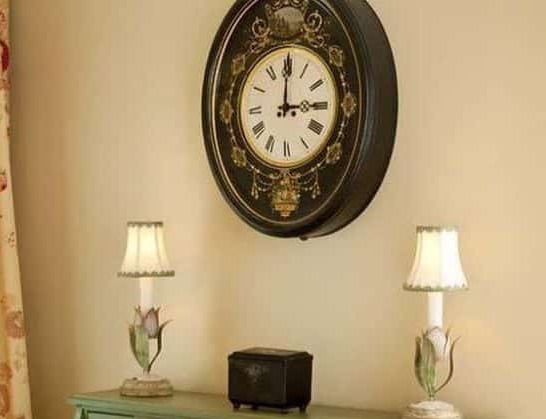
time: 3:00
